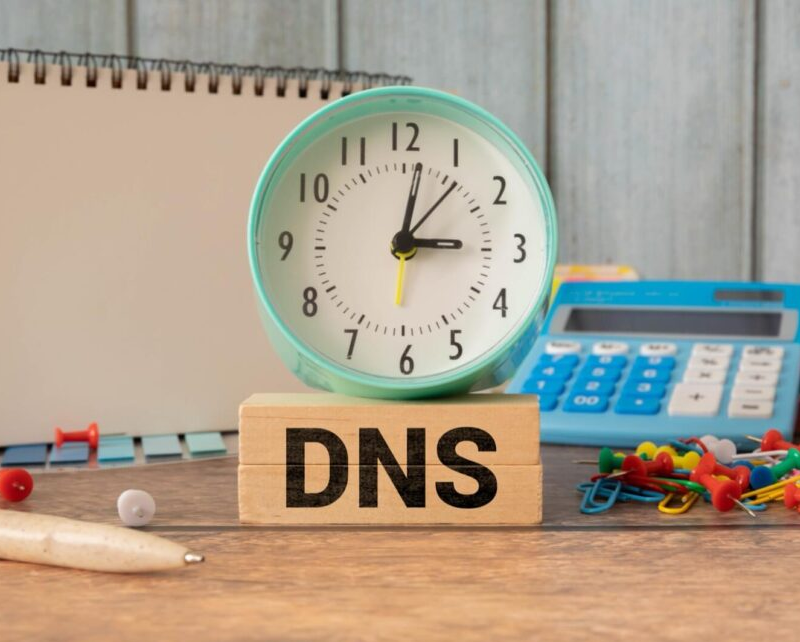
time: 3:01
